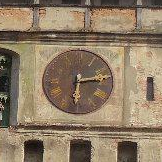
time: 6:13
